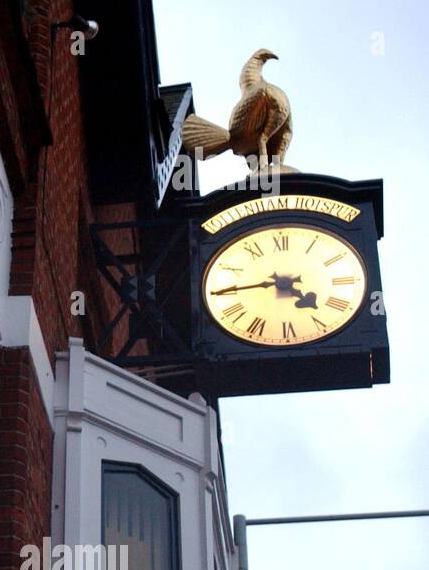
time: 4:44
